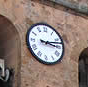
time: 3:12
